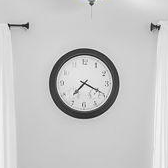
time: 7:19
